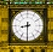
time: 8:30
